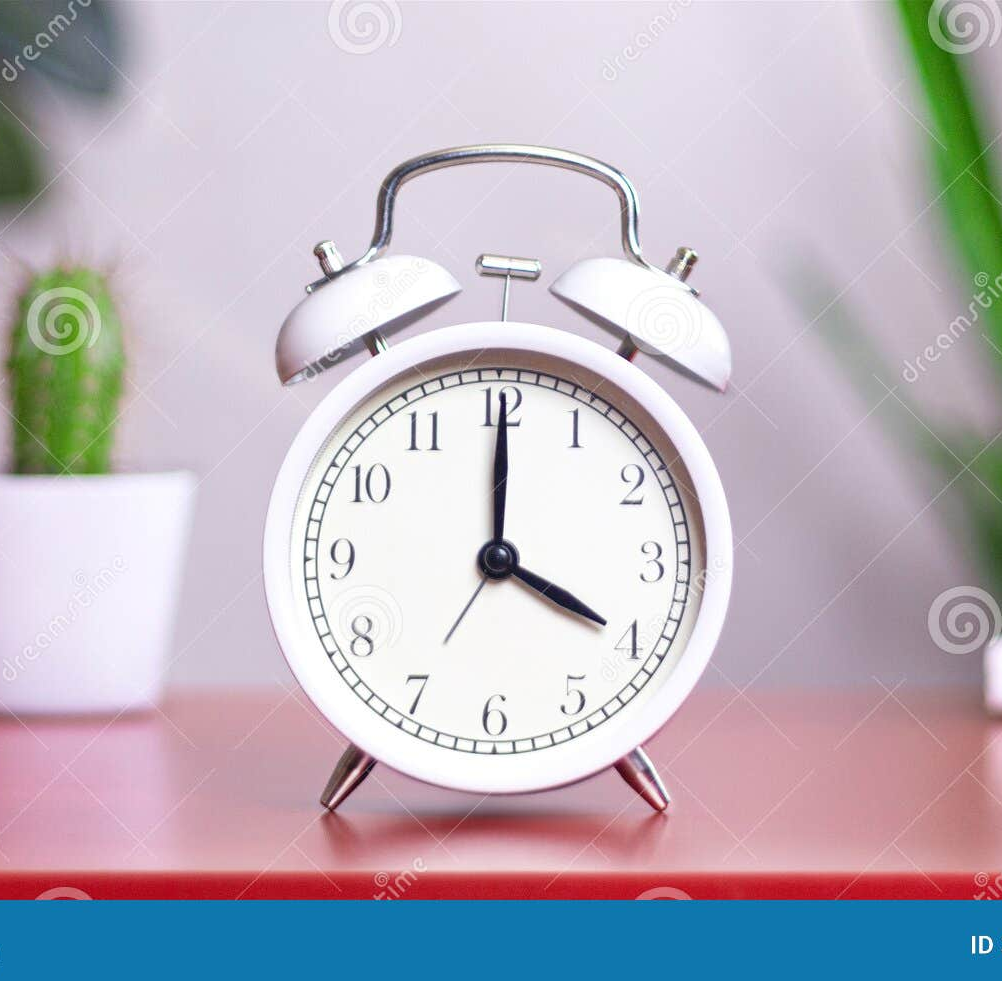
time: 4:00
